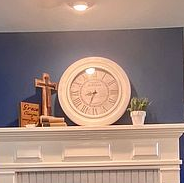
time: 8:33
